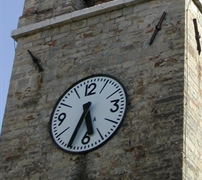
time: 5:34
